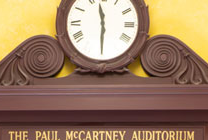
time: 11:30
